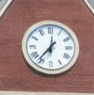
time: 6:36
